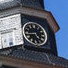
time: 4:42
